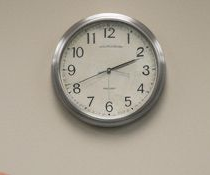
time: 2:11
